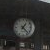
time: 1:22
